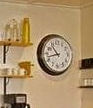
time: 10:42
